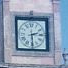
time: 2:29
